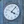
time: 4:07
